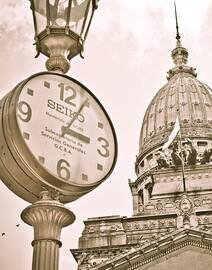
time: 3:04
